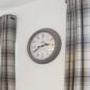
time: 2:40
